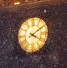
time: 4:09
